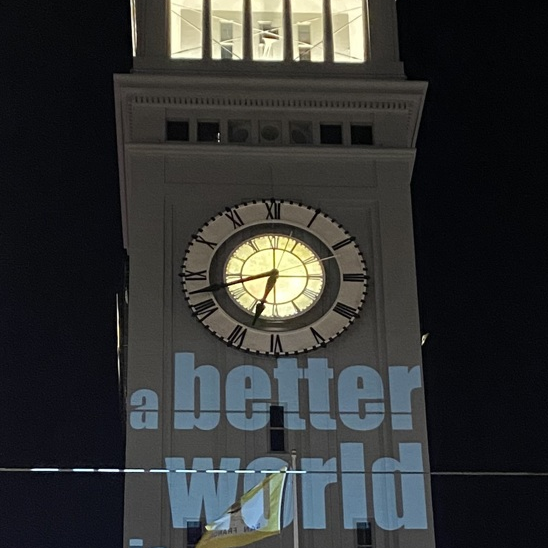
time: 6:42
